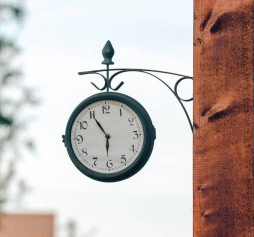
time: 5:54
